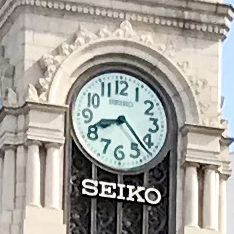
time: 8:22
